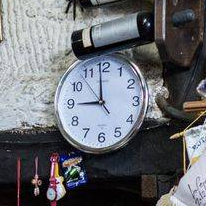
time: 8:59
